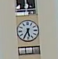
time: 5:35
